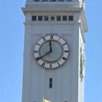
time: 11:39
